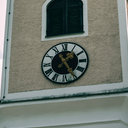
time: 1:24
